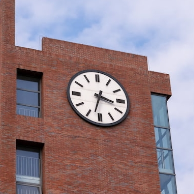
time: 3:32
